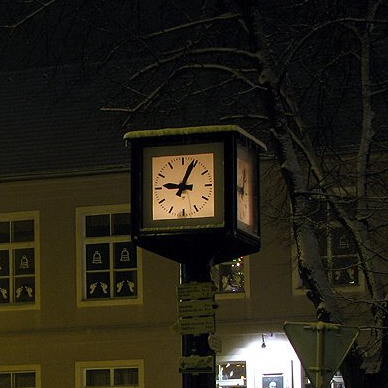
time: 9:04
